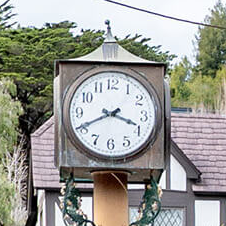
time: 3:40
